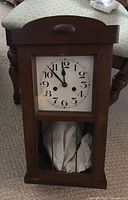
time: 11:52
